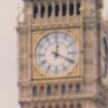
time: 12:19
